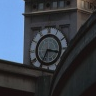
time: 3:34
